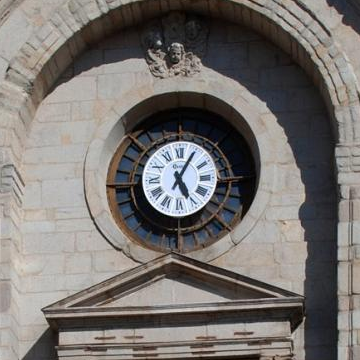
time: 5:05
